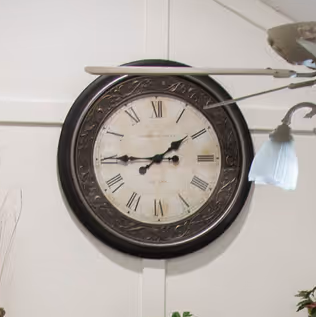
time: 1:45
